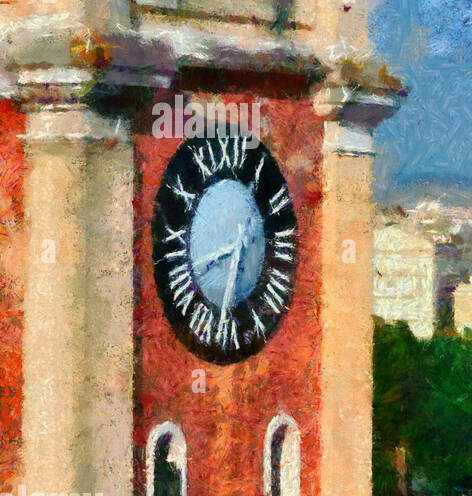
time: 8:32
